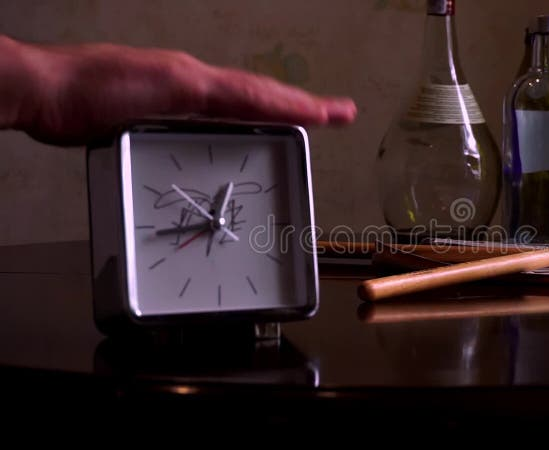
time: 12:43
